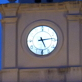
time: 5:13
